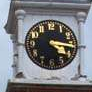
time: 4:16
